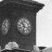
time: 10:32
